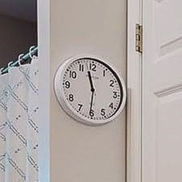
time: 11:30
